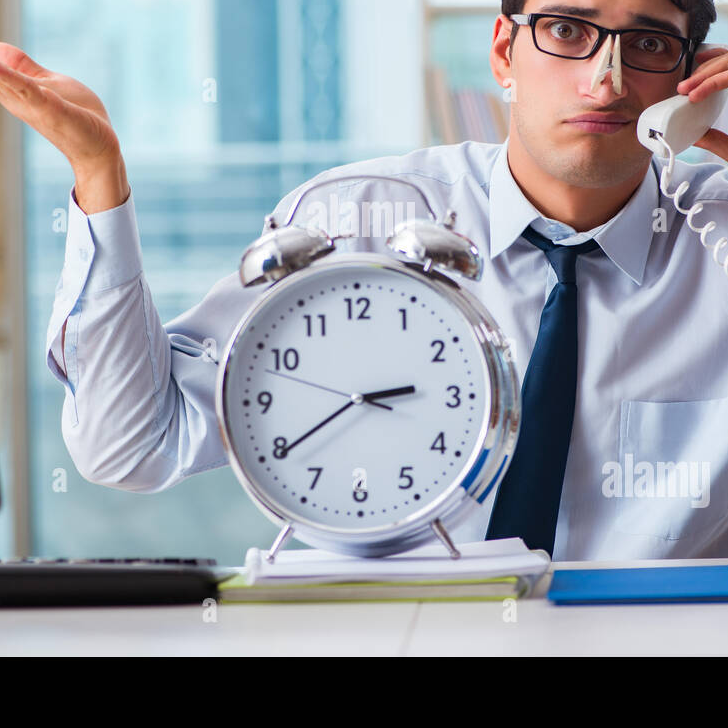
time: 2:39
